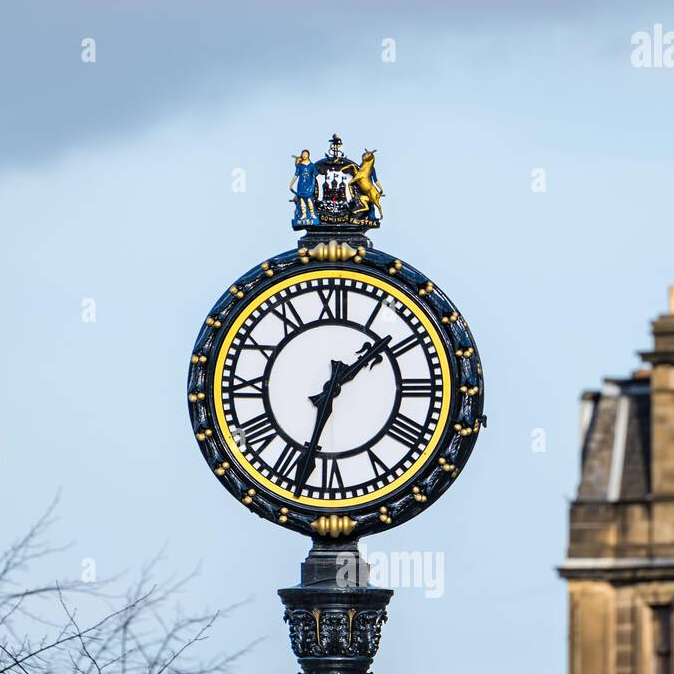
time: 1:33
